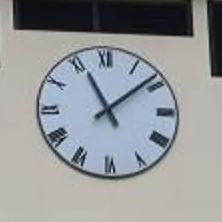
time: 11:08
